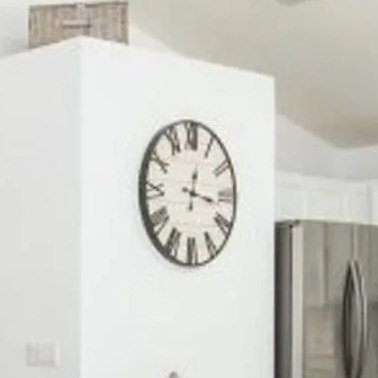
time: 12:16
